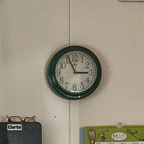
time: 2:56
